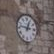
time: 12:46
